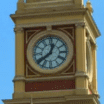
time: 12:38
